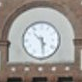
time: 4:28
